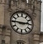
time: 2:45
